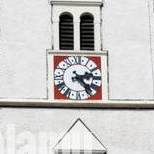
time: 2:23
